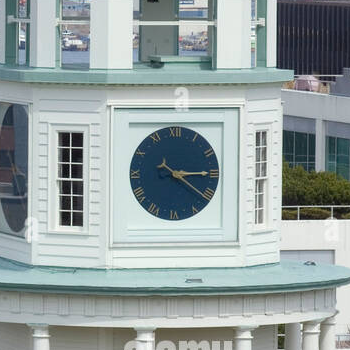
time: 4:15
